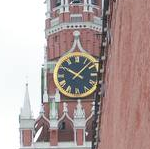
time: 10:07
